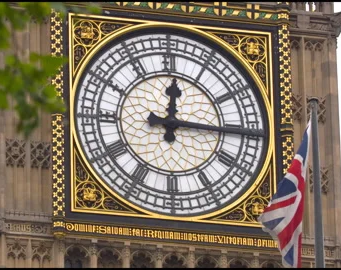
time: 12:15
